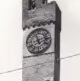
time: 11:13
